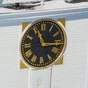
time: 11:15
